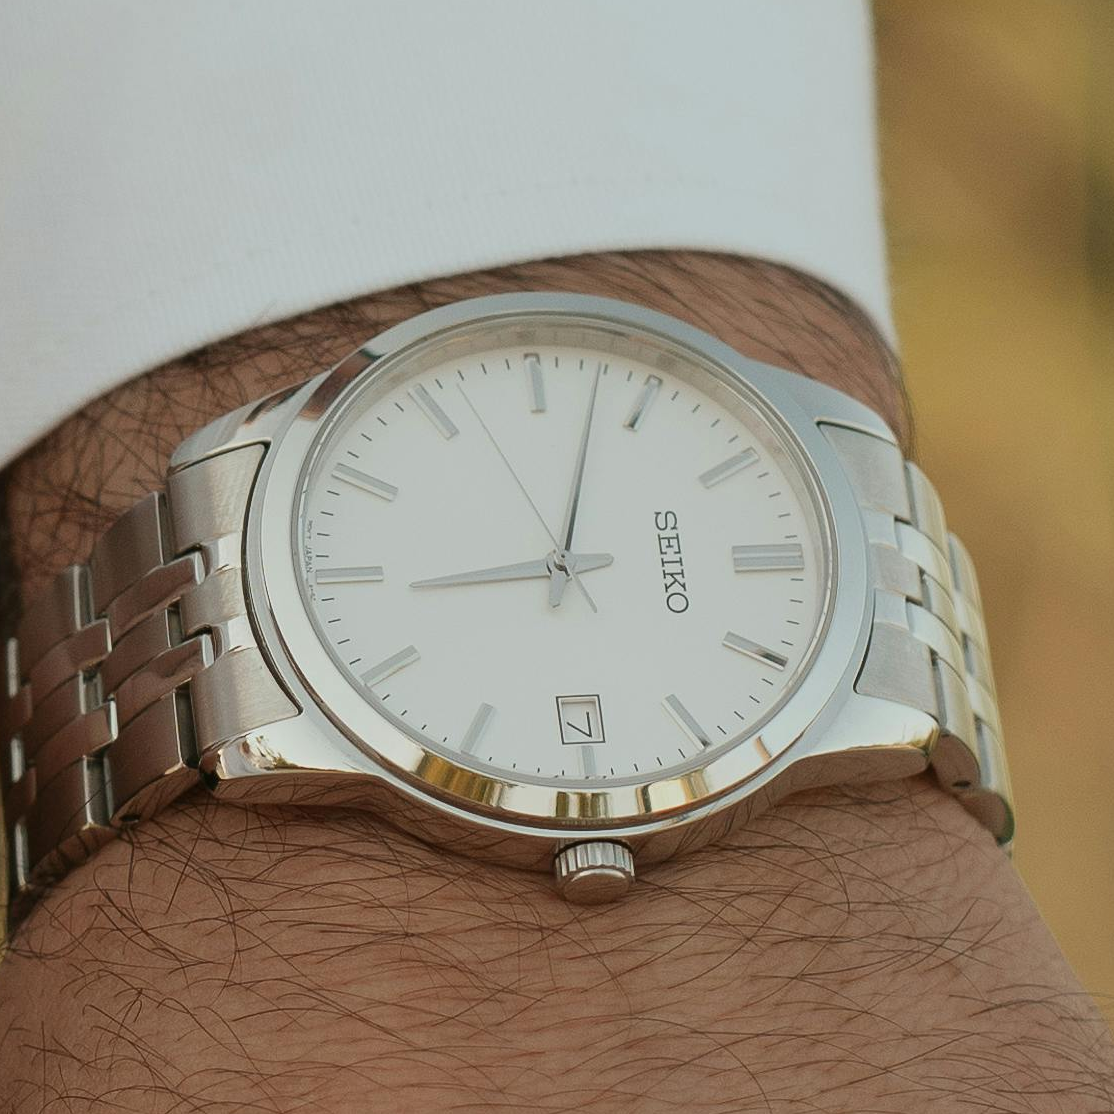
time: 9:02
